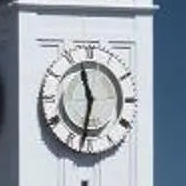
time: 11:32
